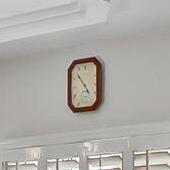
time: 10:22
